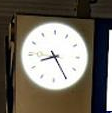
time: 8:24
